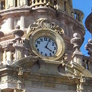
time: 4:04
